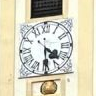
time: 4:29
